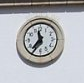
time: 11:36
